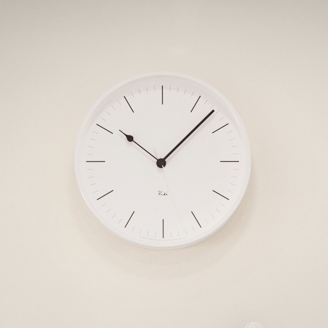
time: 10:07
